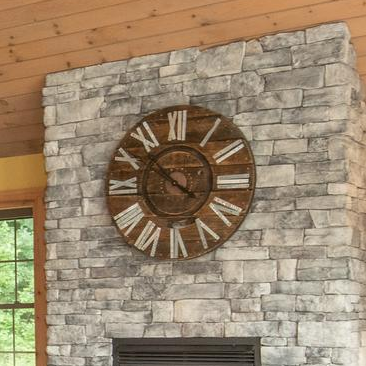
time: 3:52
